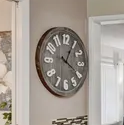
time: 4:04
